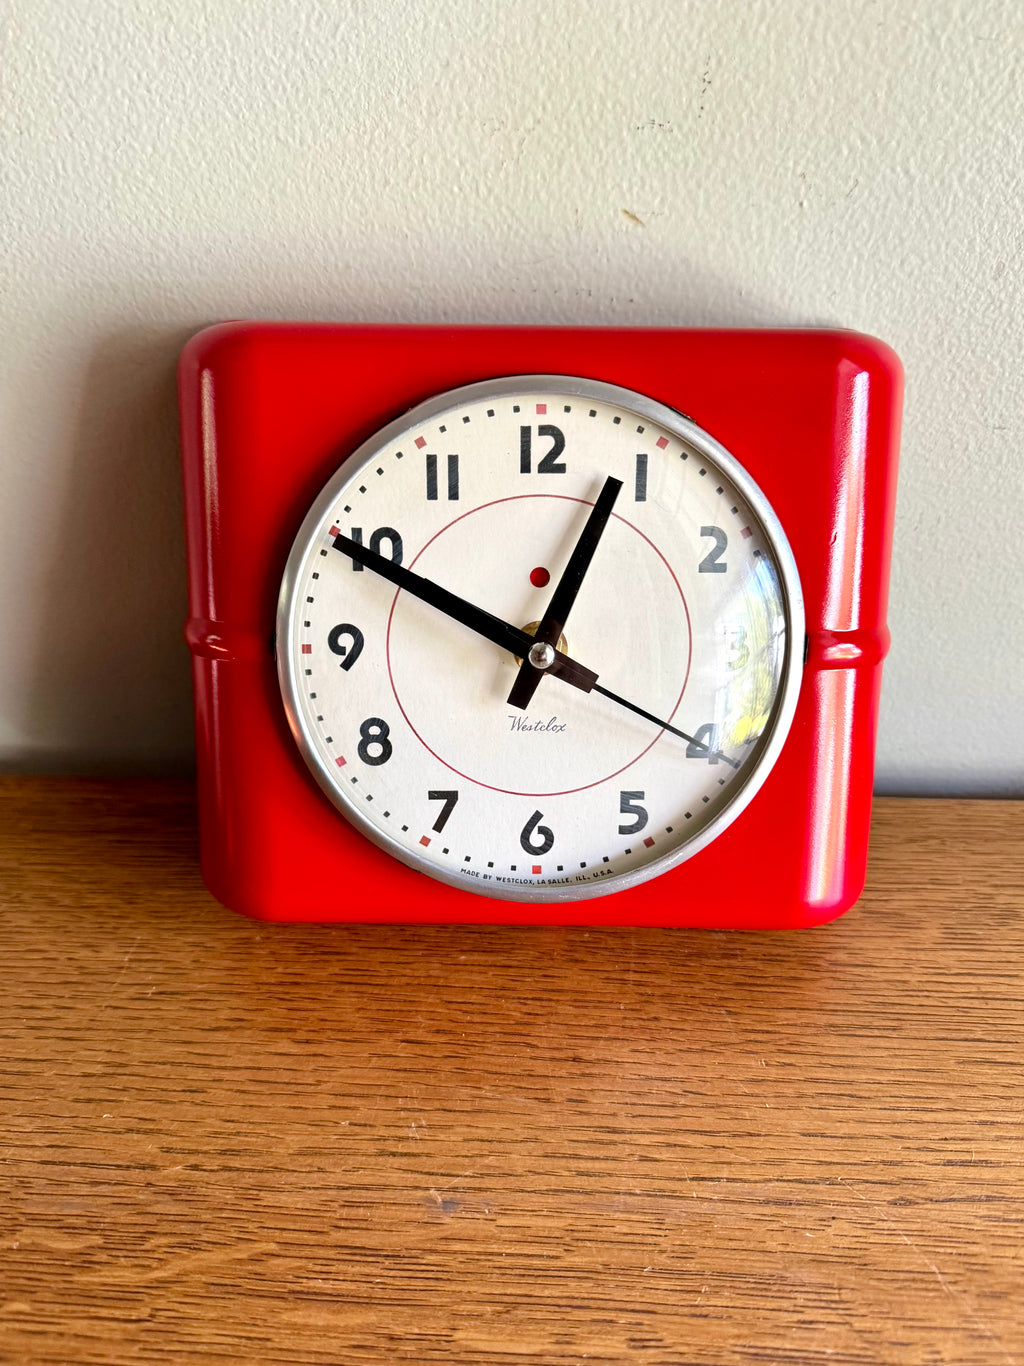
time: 12:49
